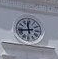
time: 11:43
